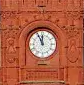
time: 11:55
